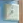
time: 7:38
